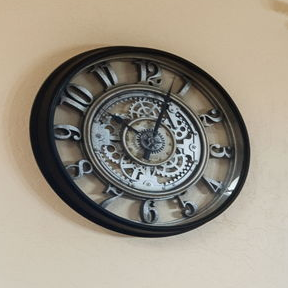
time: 10:03
